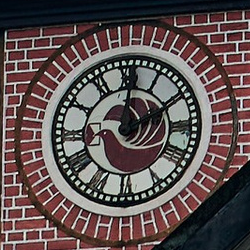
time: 12:09
